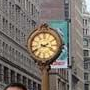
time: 3:40
